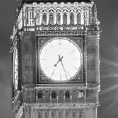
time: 7:26
